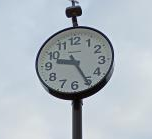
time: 9:25
